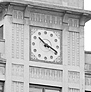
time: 10:19
